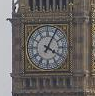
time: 4:04
